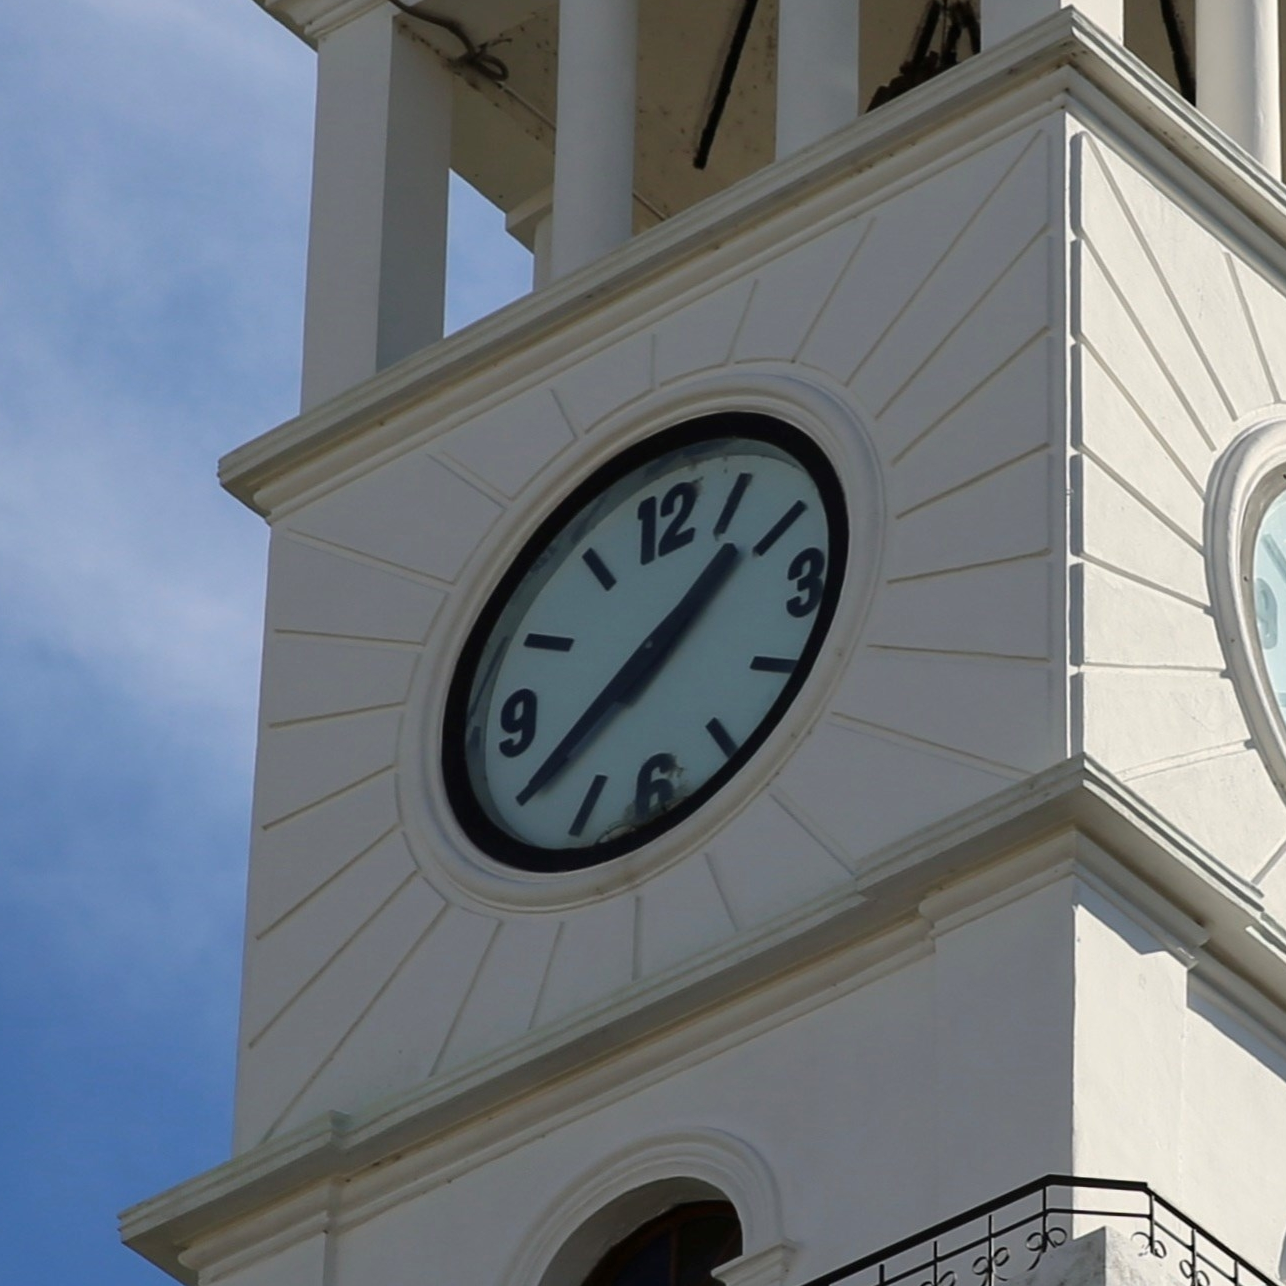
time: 1:39
